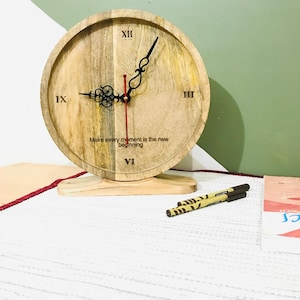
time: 9:05
